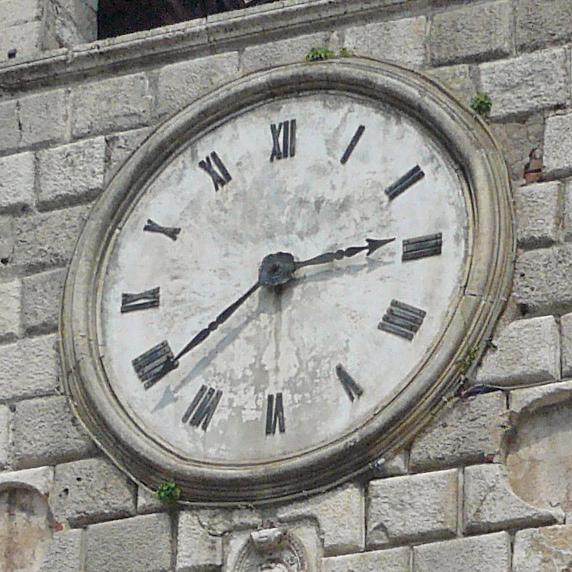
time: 2:39
